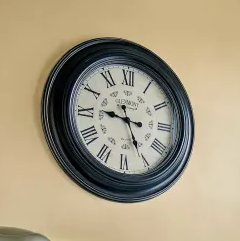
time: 9:25
